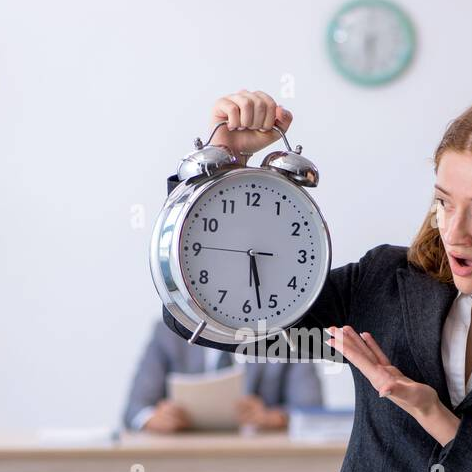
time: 5:27
